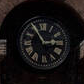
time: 2:54
